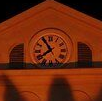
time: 7:54
